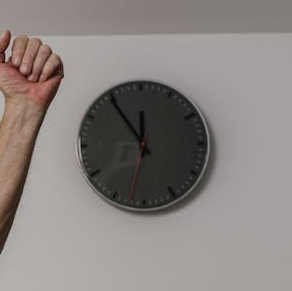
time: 11:54
